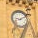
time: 9:10
